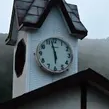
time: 5:57
